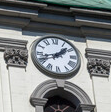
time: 1:42
